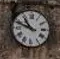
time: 10:48
